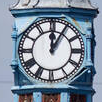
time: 12:05
